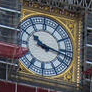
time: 10:16
